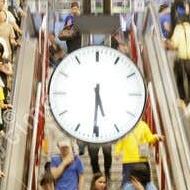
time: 5:30
